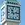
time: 11:13
